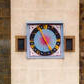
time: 4:57
